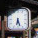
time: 6:27
